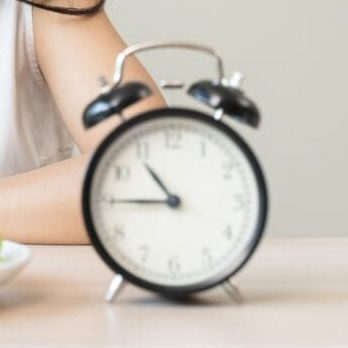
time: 10:45
